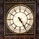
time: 4:24
